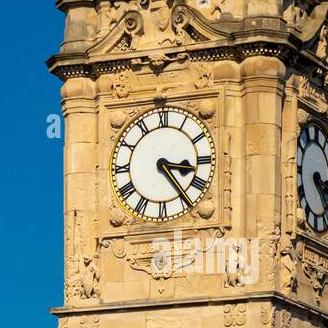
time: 3:24
